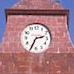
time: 2:34
